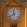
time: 11:40
